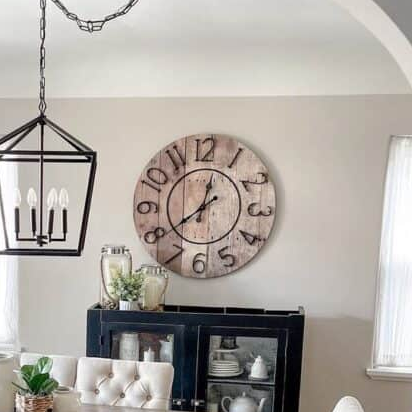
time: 12:39
